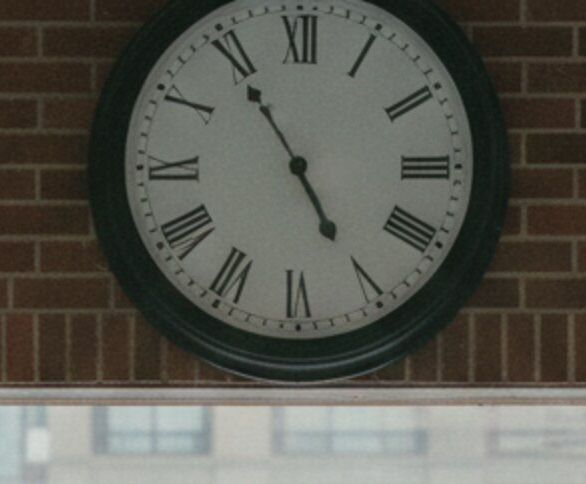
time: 4:54
